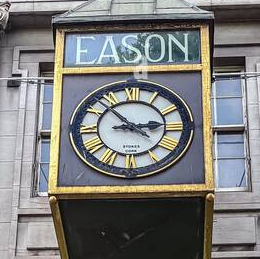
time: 2:53
